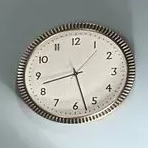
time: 8:27
